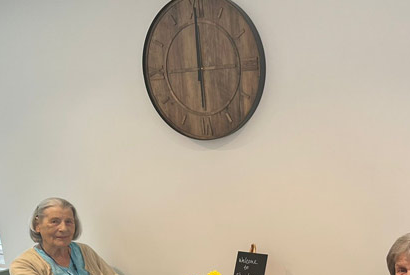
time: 5:59
